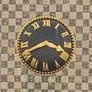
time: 3:40
